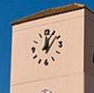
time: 12:07
